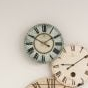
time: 1:49
